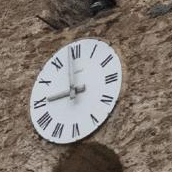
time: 8:59
